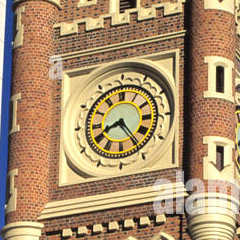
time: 8:24
